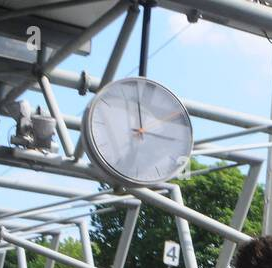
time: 12:16
